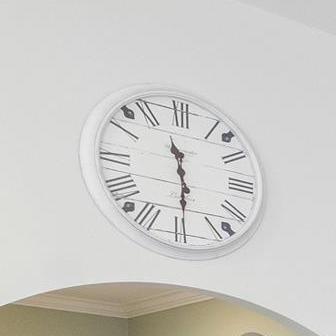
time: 11:29
